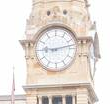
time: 9:12
